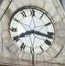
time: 8:16
